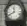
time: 11:40
